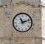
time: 11:12
